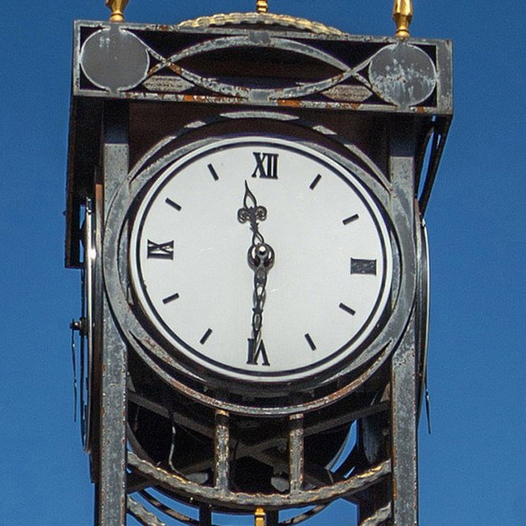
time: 11:30
